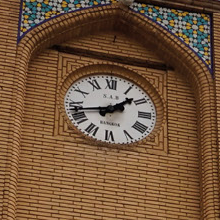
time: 1:43
